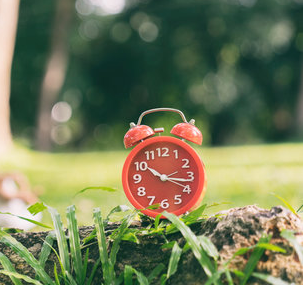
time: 10:16
